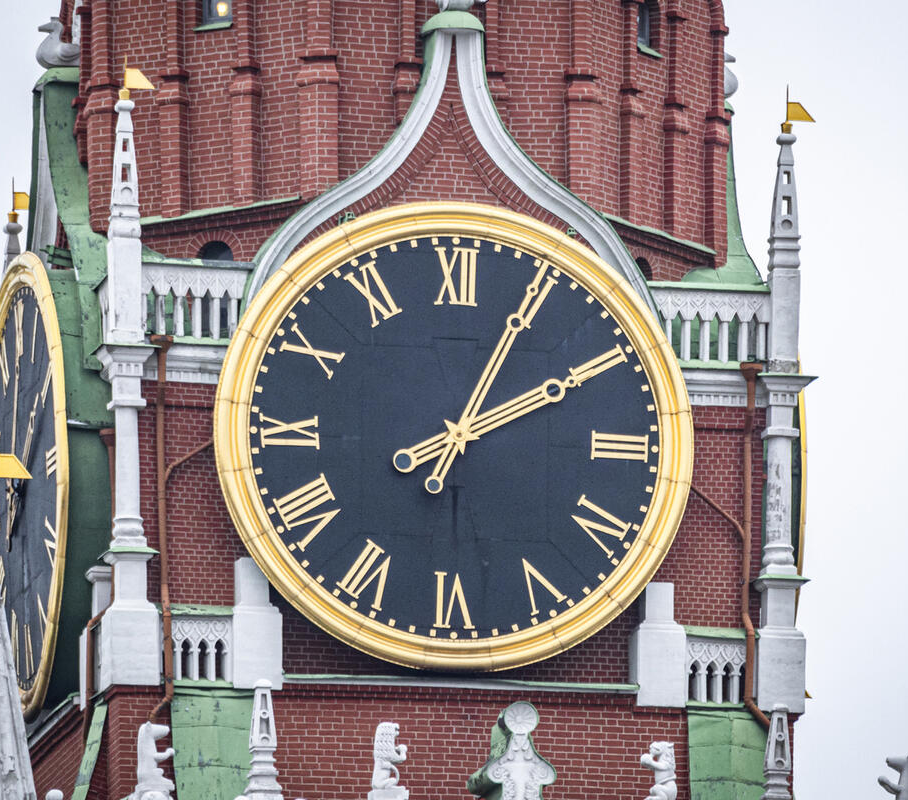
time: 2:04
